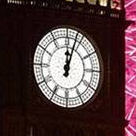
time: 12:03
